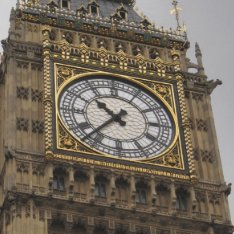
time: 10:37
